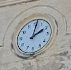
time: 2:01
